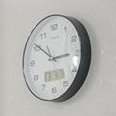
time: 2:50
